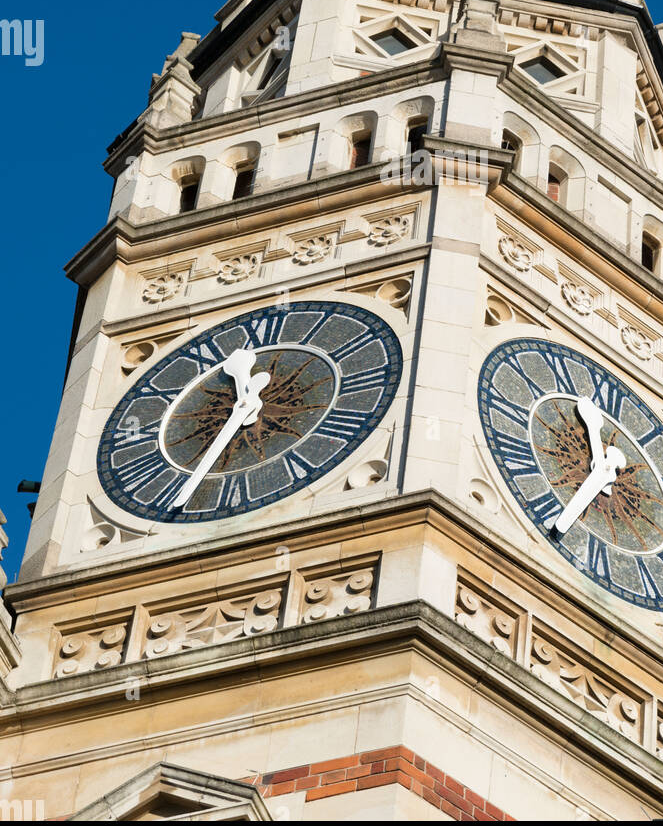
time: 11:34
